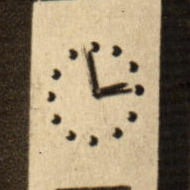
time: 2:58
